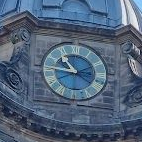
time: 10:45
